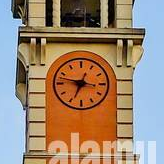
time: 6:47
